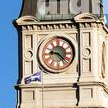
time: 9:22
